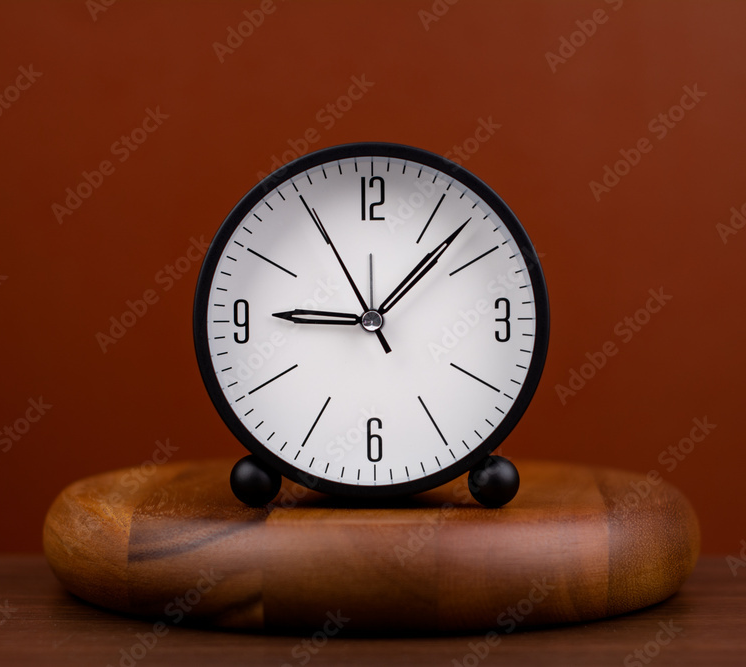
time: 9:07
